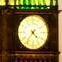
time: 4:36
